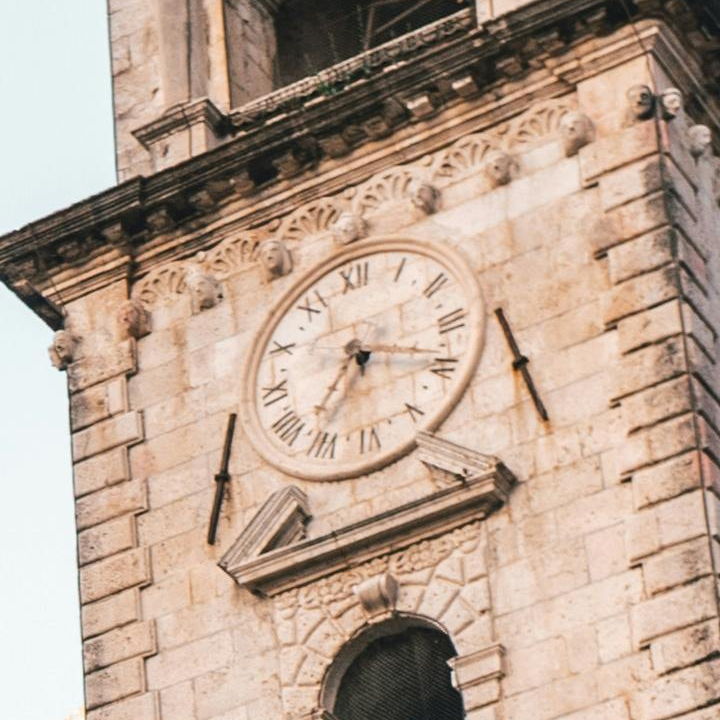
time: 7:18
